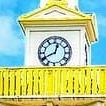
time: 12:40
